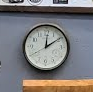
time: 12:09
